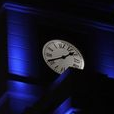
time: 1:40
